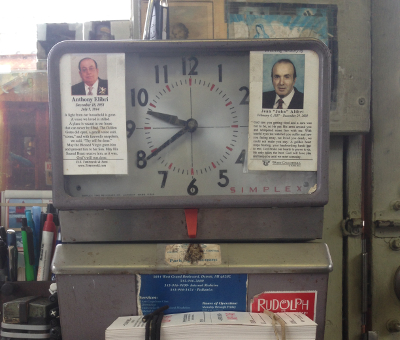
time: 9:39
